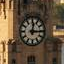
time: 12:15
